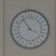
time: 3:55
